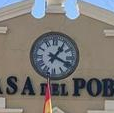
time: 1:18
